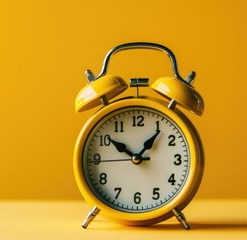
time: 10:06
